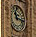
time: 11:17
